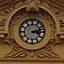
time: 3:12
